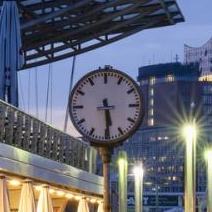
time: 5:29
